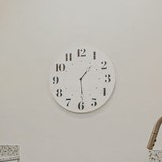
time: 1:29
